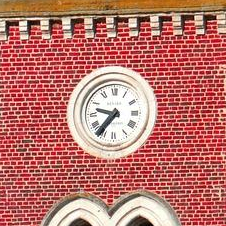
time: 9:36
